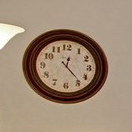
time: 12:23
